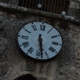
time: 5:28
